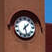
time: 1:27
